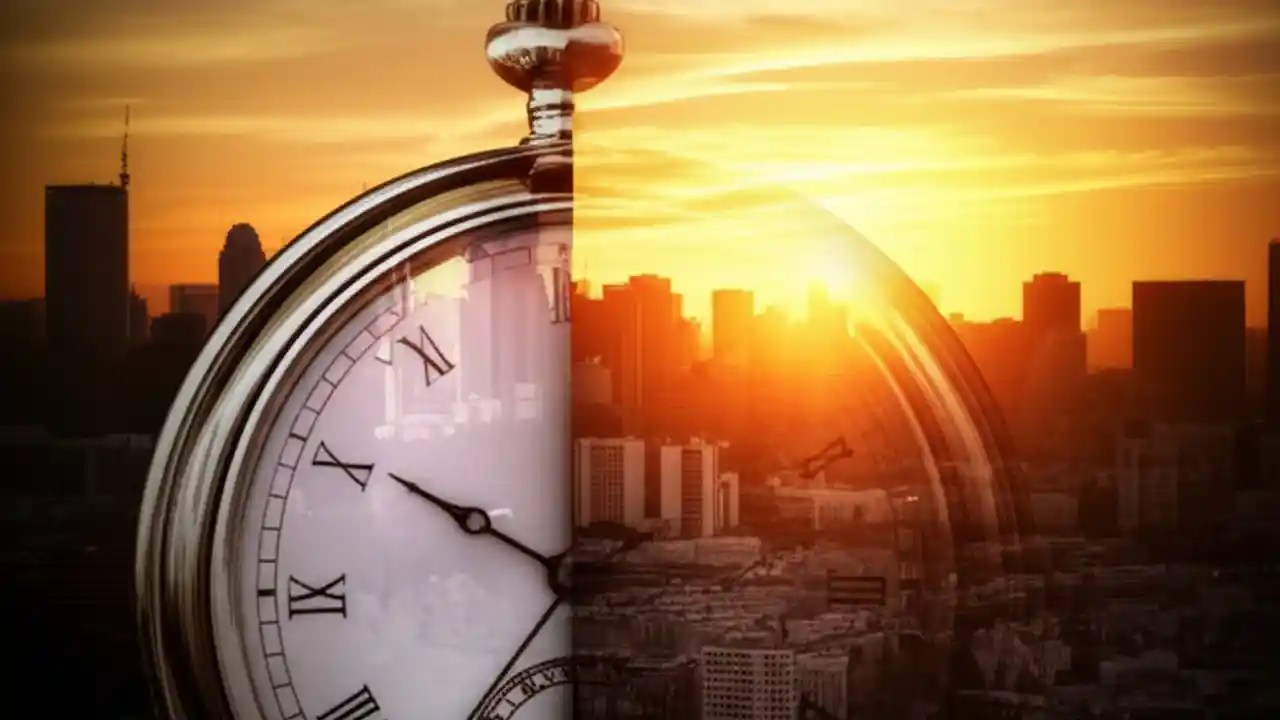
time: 6:50
